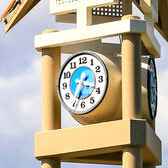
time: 3:34
